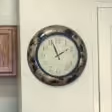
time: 1:56
